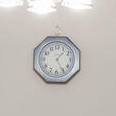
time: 1:25
